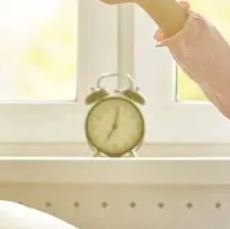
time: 7:02
